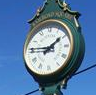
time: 1:46
